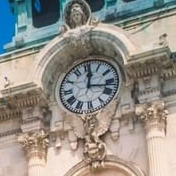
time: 12:16
